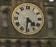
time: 4:31
